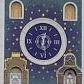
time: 12:28
